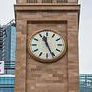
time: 11:25
